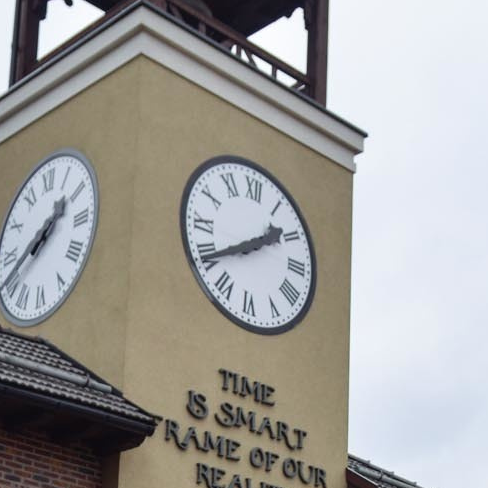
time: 1:39
